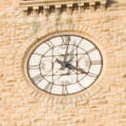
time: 4:01
